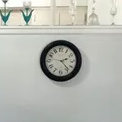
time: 2:23
